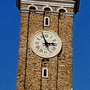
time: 2:56
